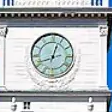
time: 12:41
